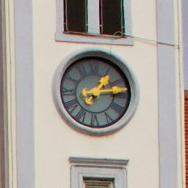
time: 1:13
